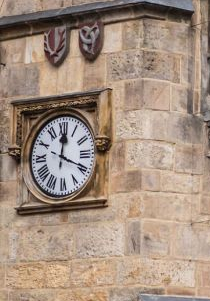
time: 12:19
